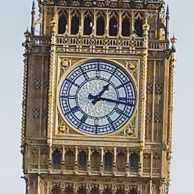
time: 1:16
